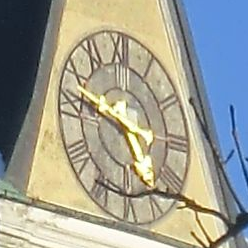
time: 5:47
